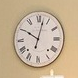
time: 10:02
